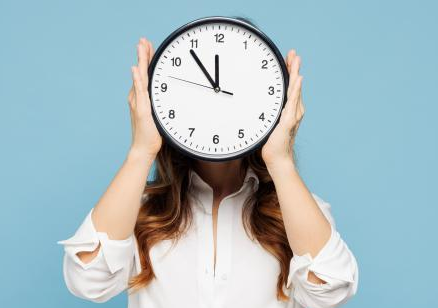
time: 11:53
